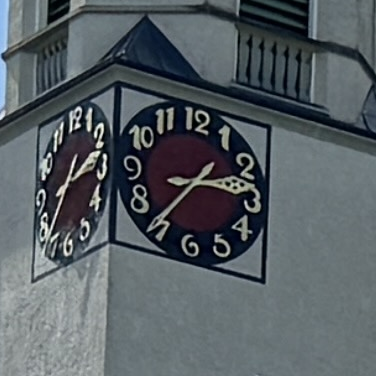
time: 2:36
